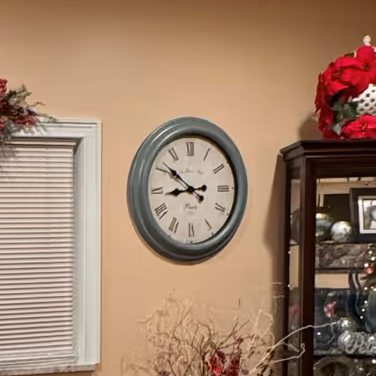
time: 8:51
